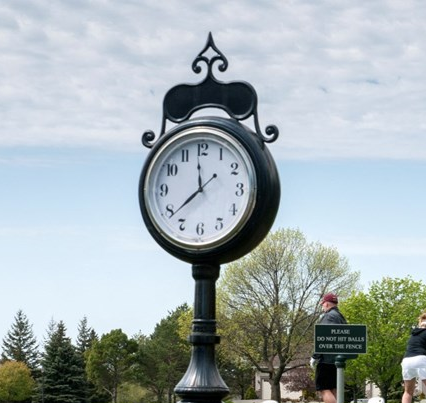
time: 11:38
